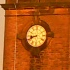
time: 8:41
